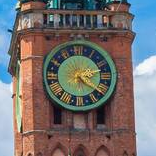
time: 2:21
